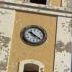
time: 10:20
